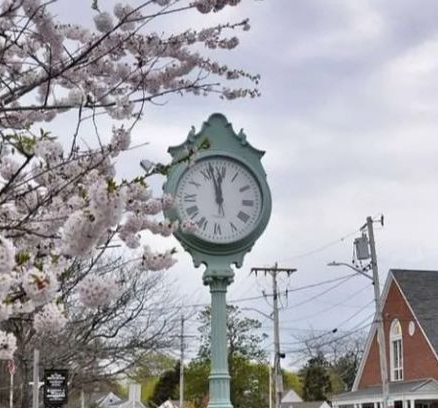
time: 11:57
